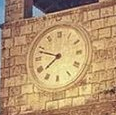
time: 7:48
